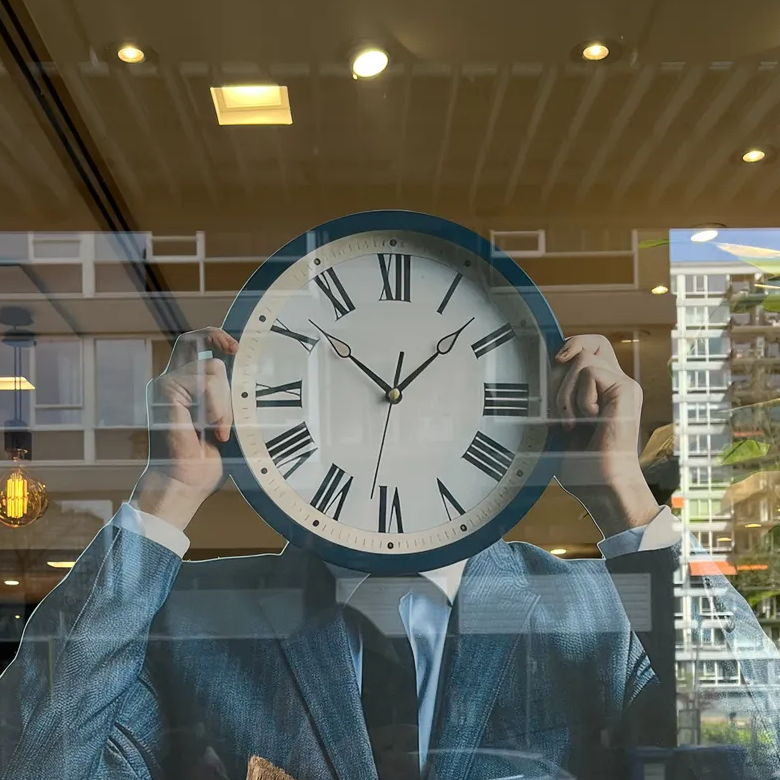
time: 10:07
